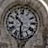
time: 10:31
